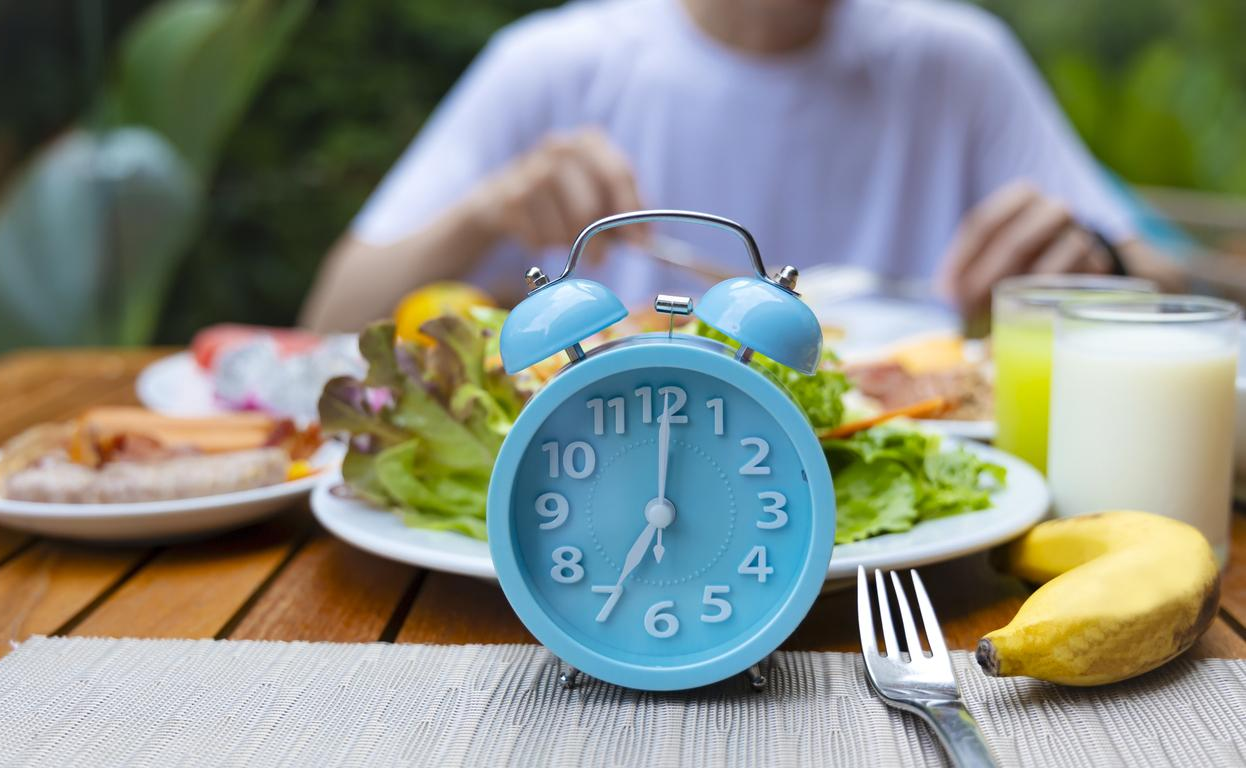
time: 7:00
